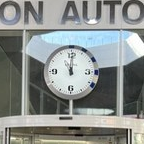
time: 11:00
